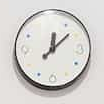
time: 12:08
